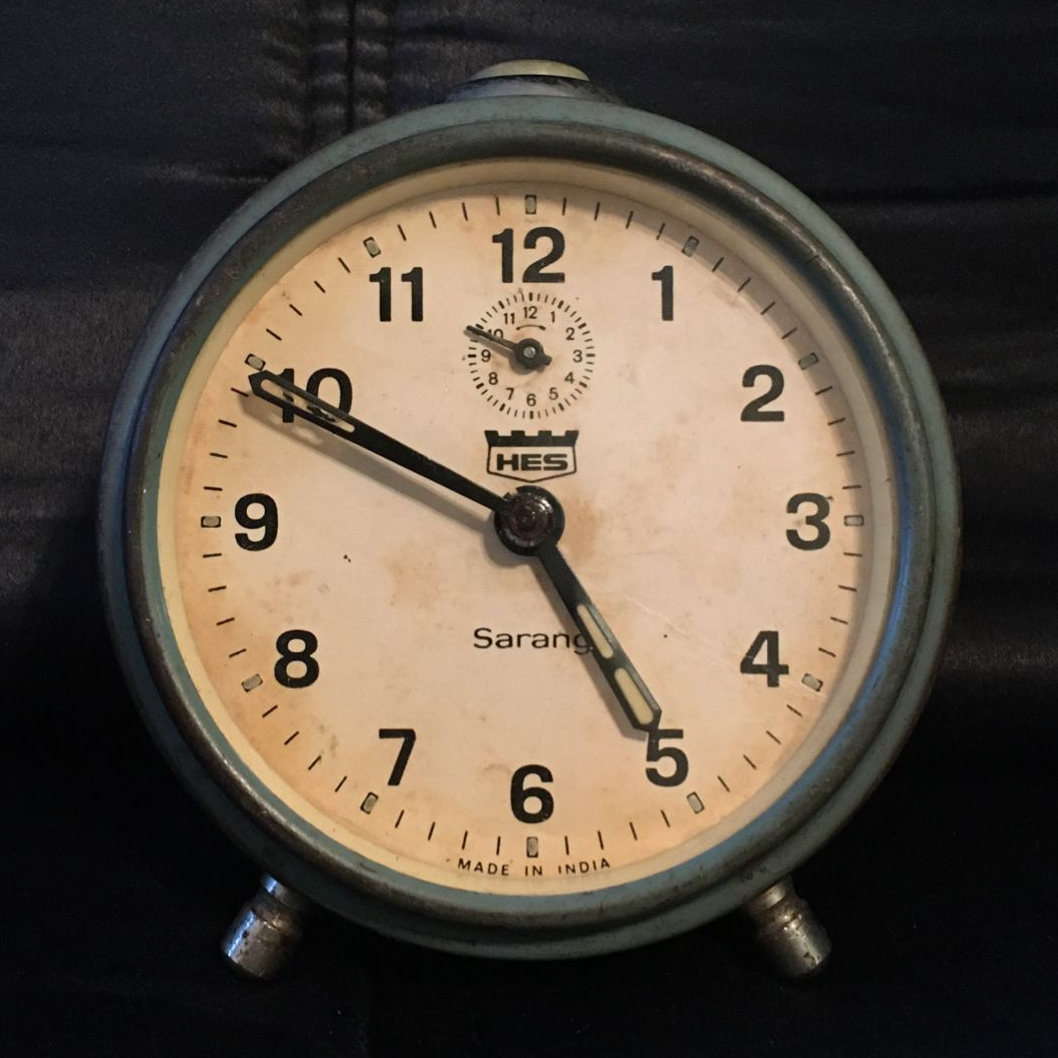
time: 4:49
